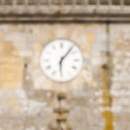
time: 6:06
